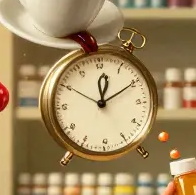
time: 12:10
